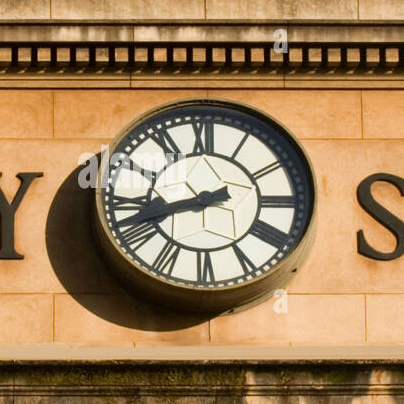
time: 8:41
